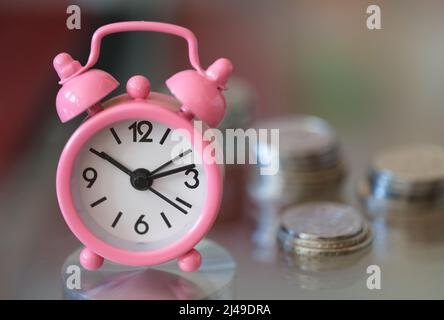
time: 10:12
